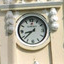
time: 8:38
